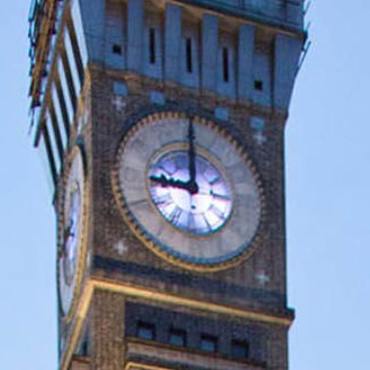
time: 9:00
